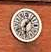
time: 6:07
